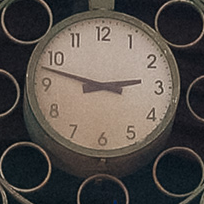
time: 2:47
